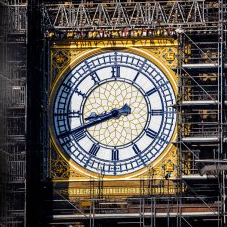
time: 8:41
